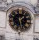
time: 1:28
